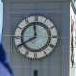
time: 11:40
